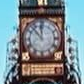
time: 11:52
